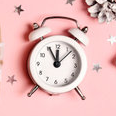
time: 11:55
